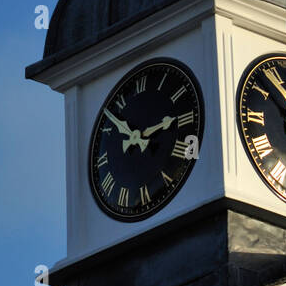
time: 2:52
